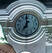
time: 6:59
